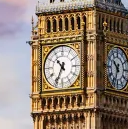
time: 10:34
